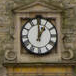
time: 1:00
